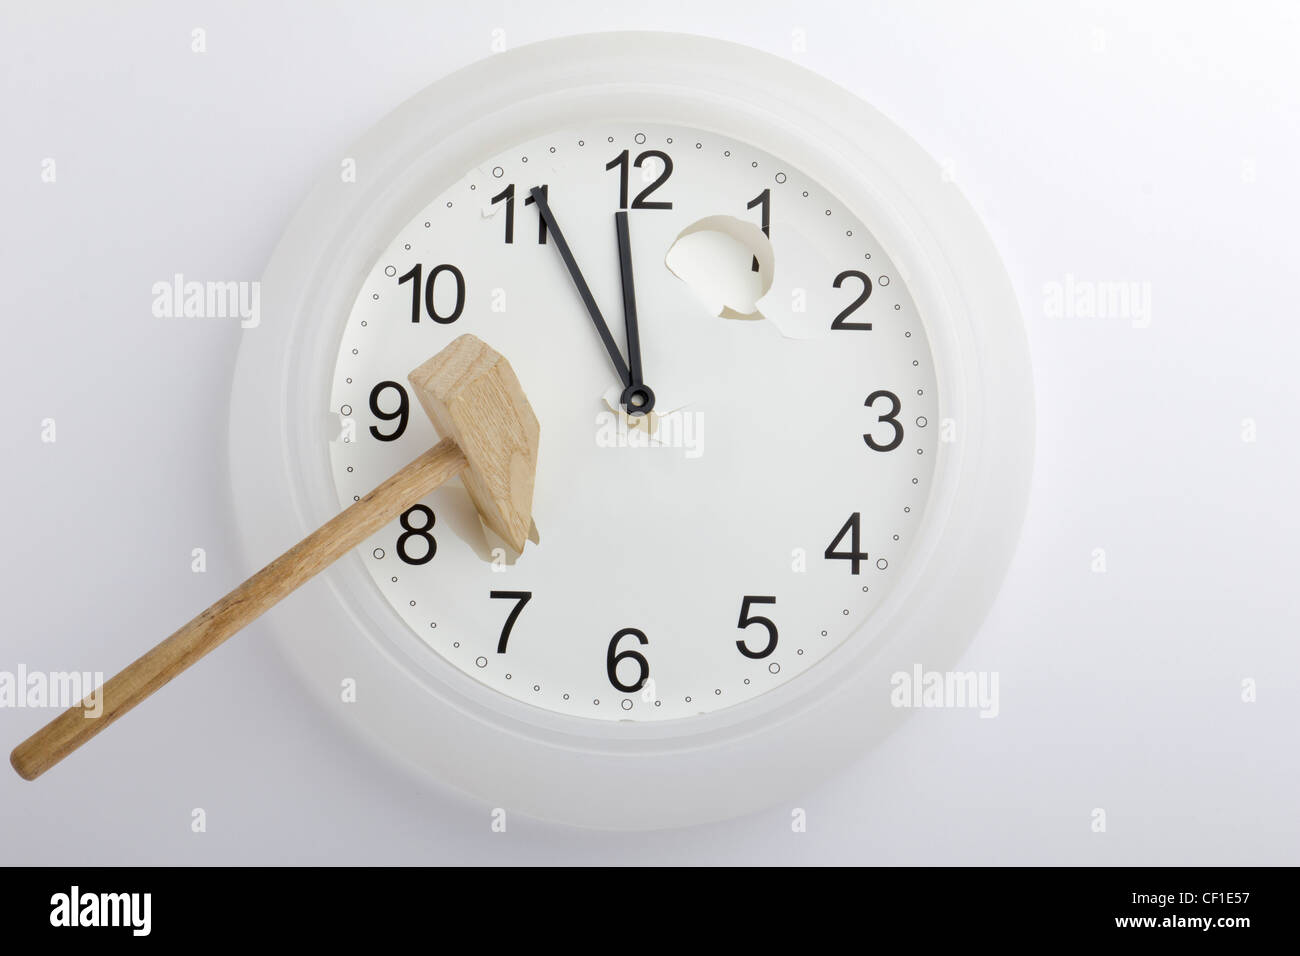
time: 11:55
